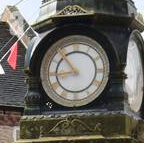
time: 10:43
